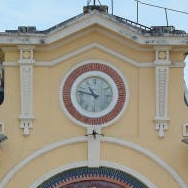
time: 10:47
